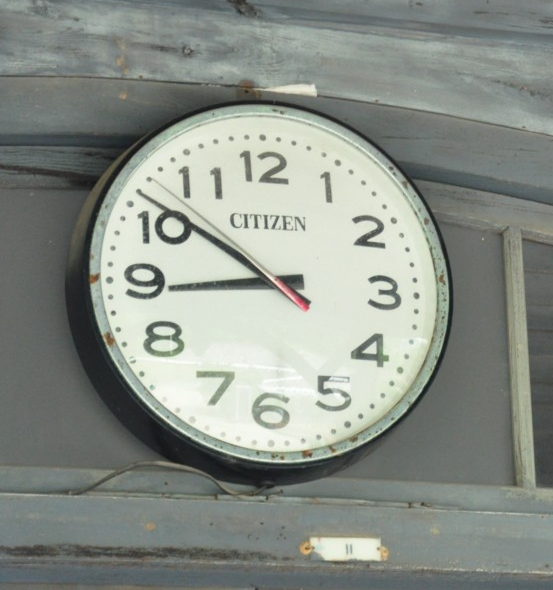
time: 8:51
